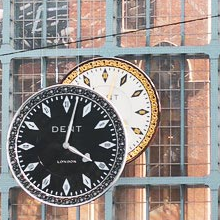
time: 4:02
